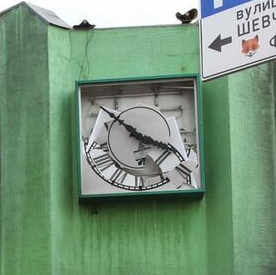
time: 3:52
